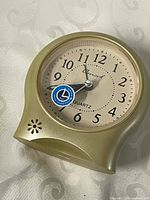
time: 7:55
